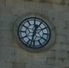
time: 12:32
